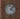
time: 4:07
